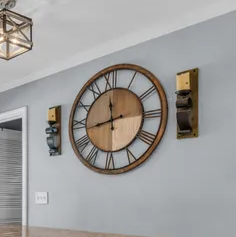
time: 11:43
